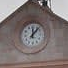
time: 12:07
